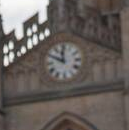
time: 11:49
